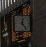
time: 12:23
